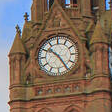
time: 10:24
